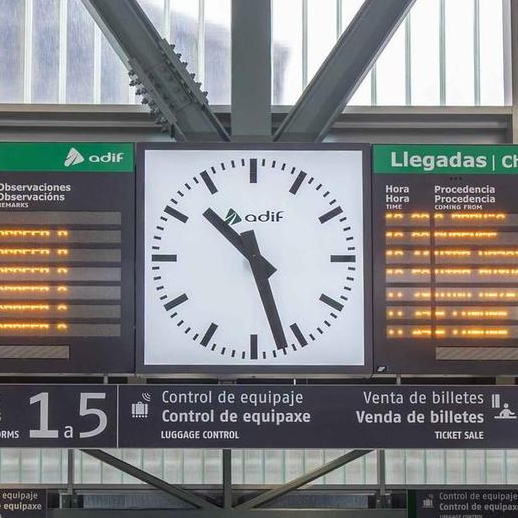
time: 10:27
